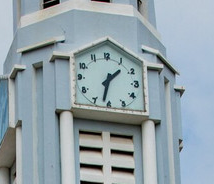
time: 1:32
